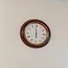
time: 5:59
